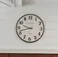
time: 9:42
